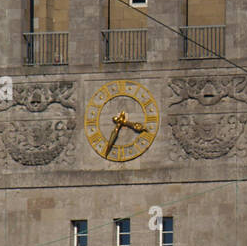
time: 3:34
